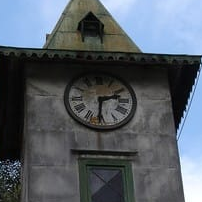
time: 2:30
